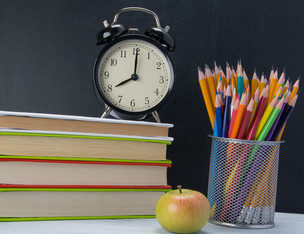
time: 8:00
